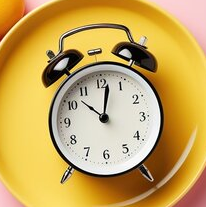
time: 10:01
